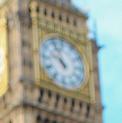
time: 9:56
